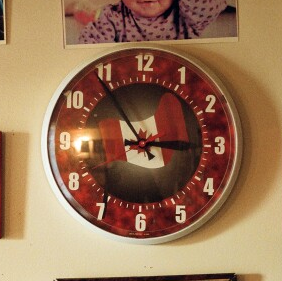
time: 2:54
